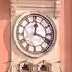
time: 12:18
